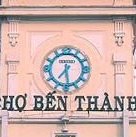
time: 7:28
